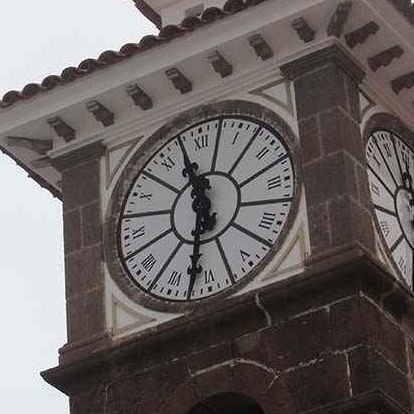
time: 11:32
